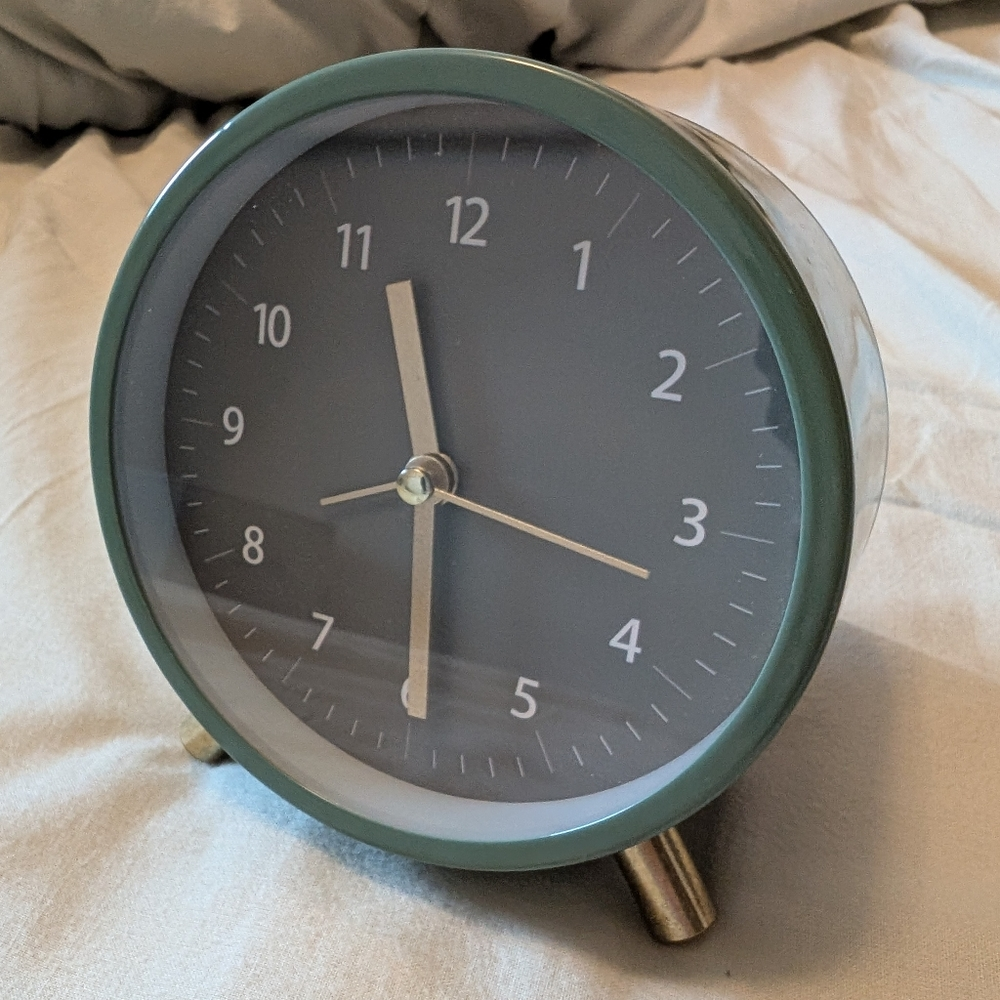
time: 11:29
